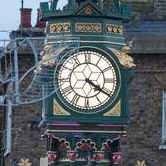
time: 4:20
